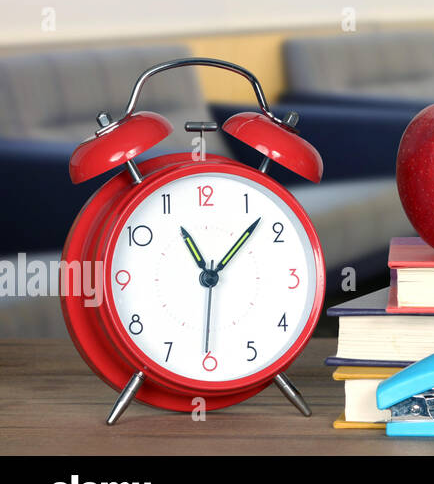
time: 11:07
